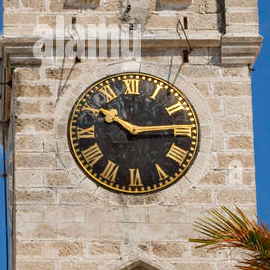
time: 10:14
